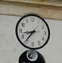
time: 8:36
